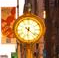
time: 6:21
